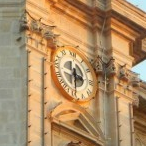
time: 3:32
